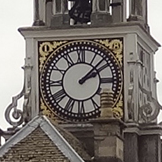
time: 2:07
